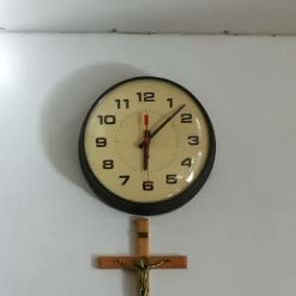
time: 6:07
